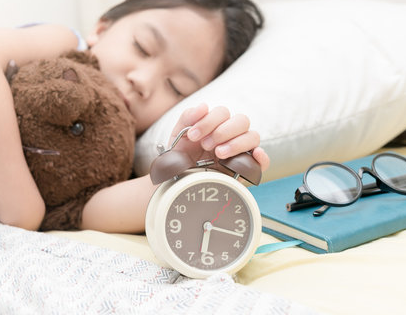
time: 6:17
